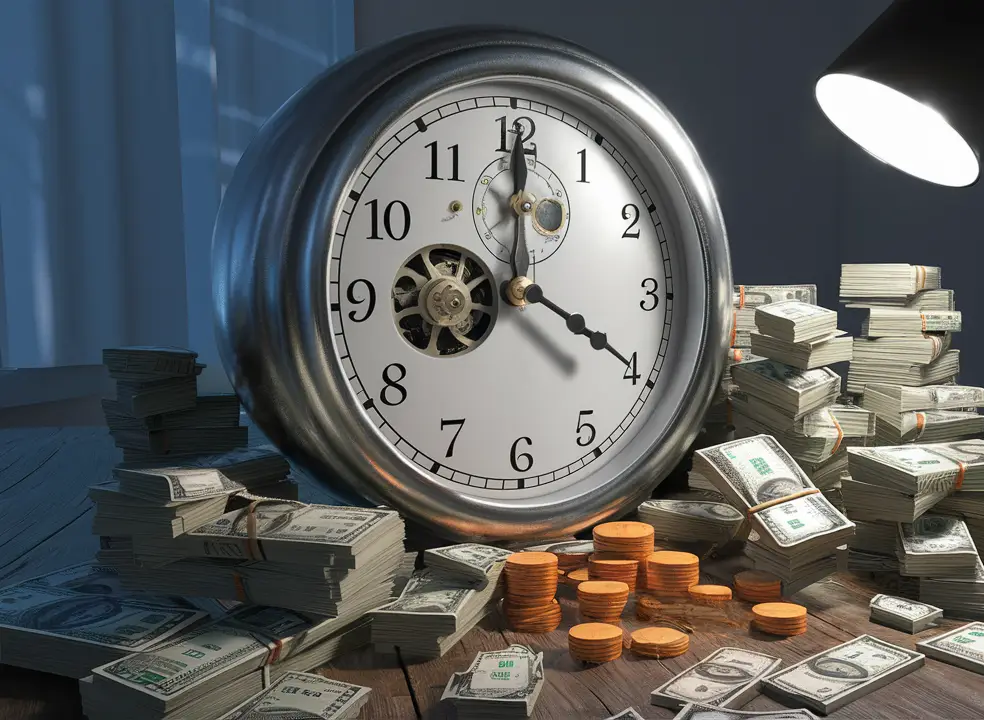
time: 4:00
